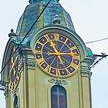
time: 11:13
